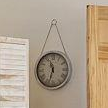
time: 11:33
